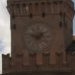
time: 1:47
